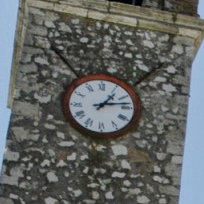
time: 1:13
